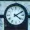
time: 4:09
